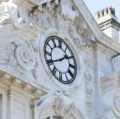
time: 1:40
